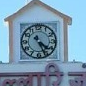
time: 4:26
